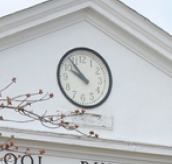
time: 9:53
